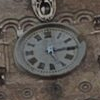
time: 5:14
